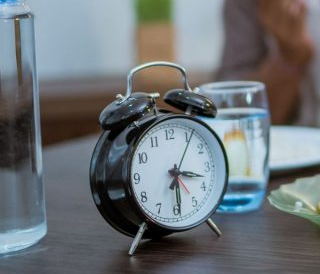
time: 3:29
